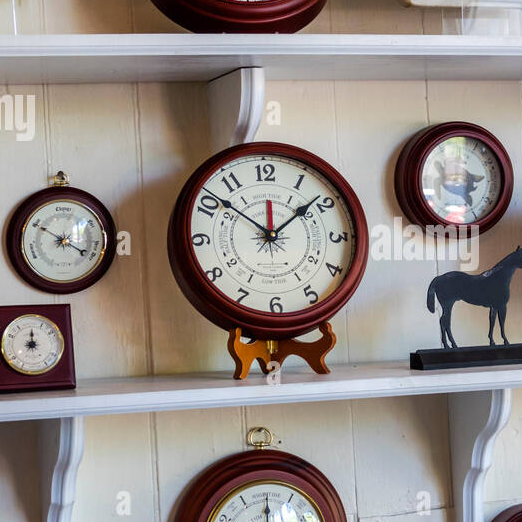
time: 1:51
